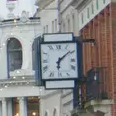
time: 6:08
